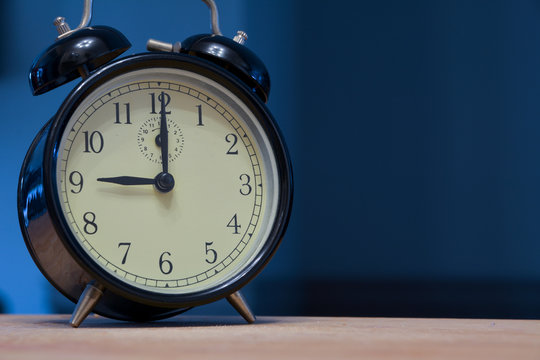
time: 9:00
